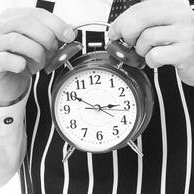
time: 2:50
